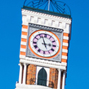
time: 2:56
